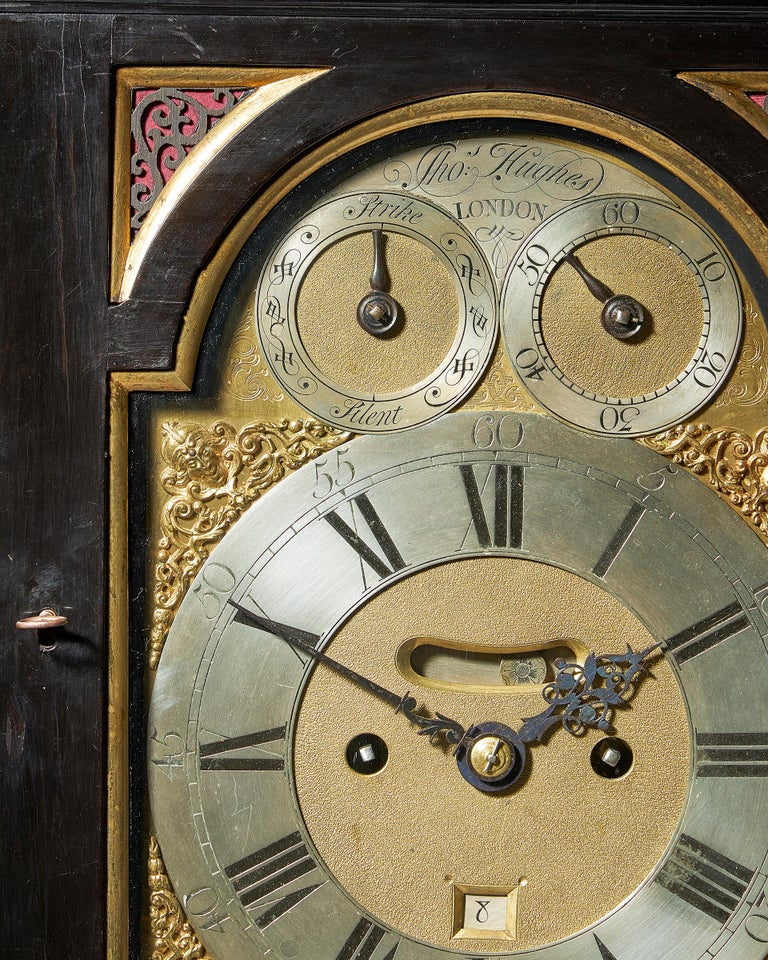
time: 1:50
